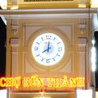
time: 8:01
